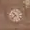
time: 10:37
